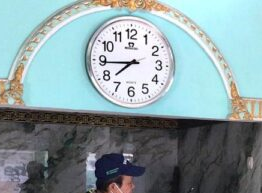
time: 7:44
